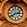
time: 2:38
